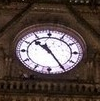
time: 10:24
